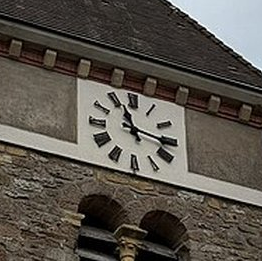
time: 11:16
